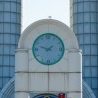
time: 1:47
